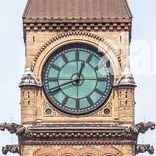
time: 12:41
